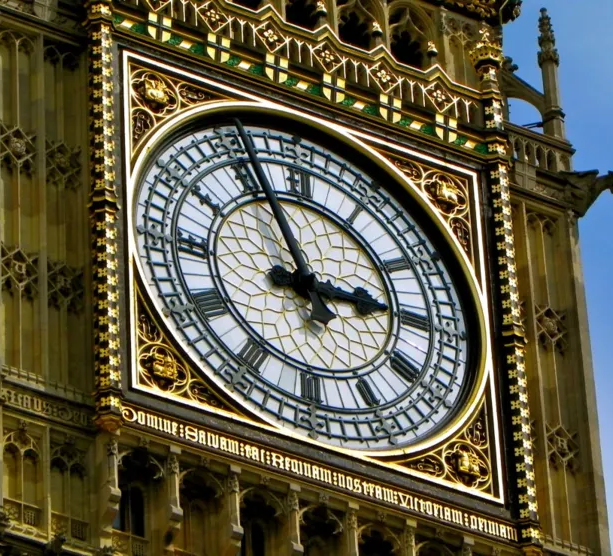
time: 2:56
